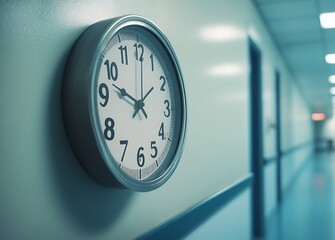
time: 1:47
